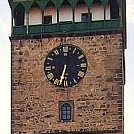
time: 6:32
